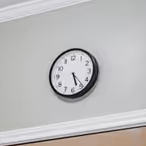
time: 5:23
